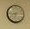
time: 8:32
